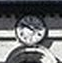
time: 2:48
